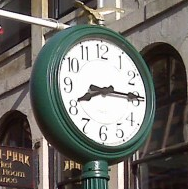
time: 8:14
